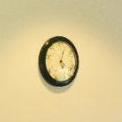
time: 5:03
